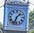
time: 1:33
